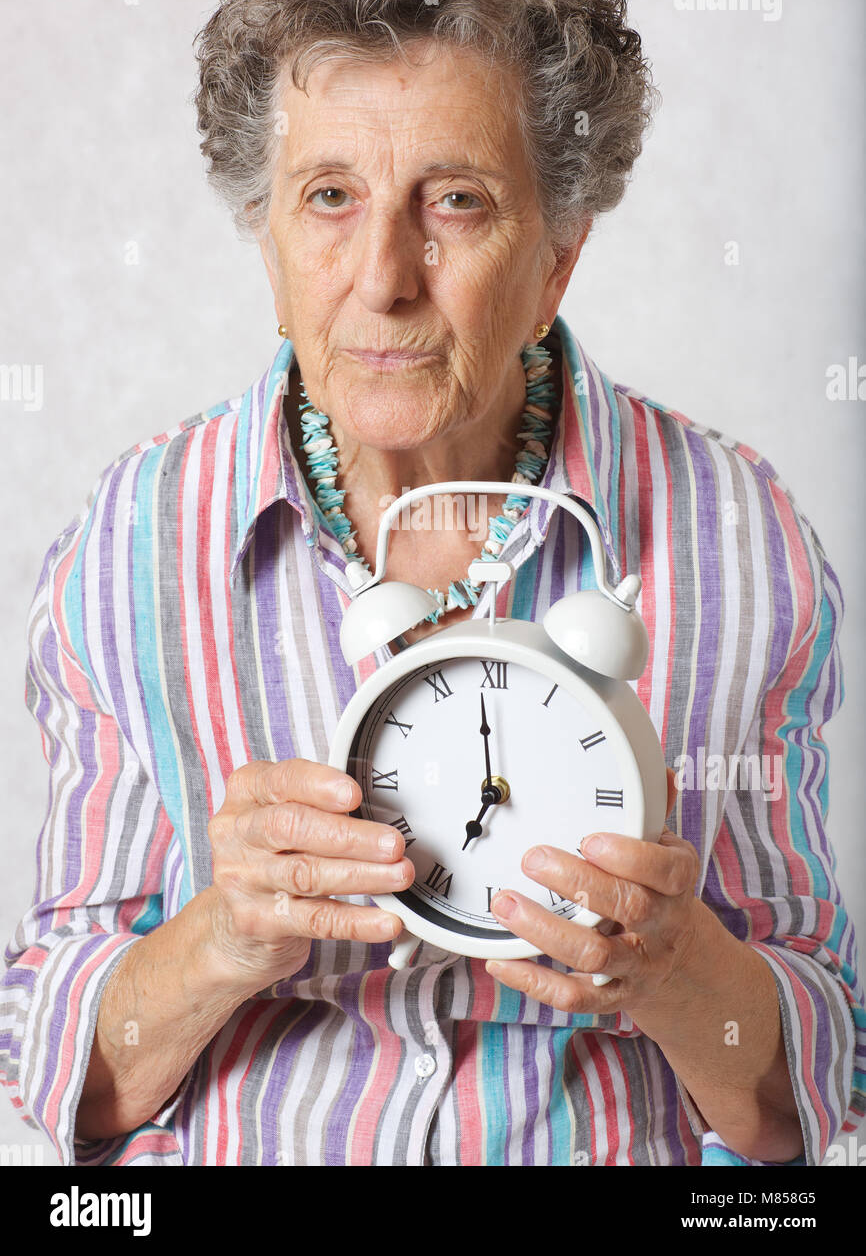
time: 6:59
